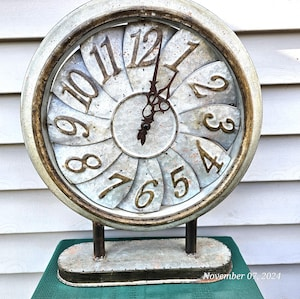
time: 1:02
